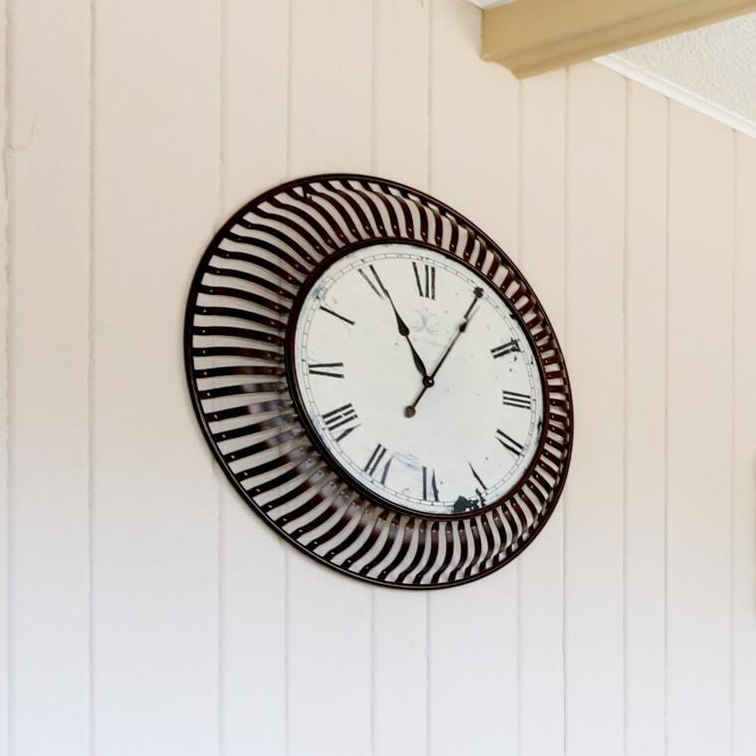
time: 11:05
